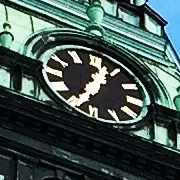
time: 12:34
